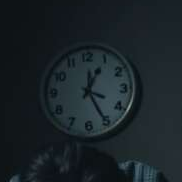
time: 12:25
